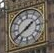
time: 1:39
